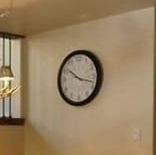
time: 10:17
